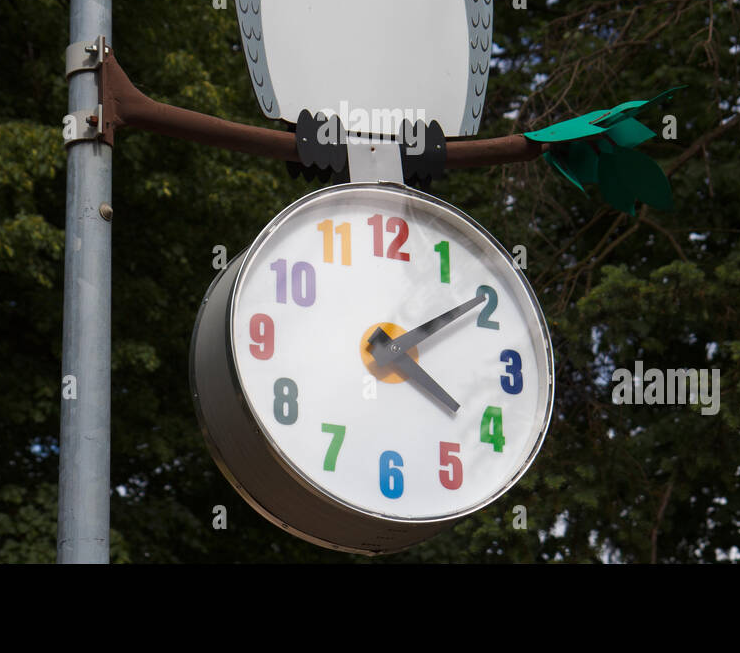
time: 4:09
